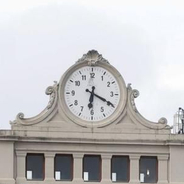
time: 6:19
